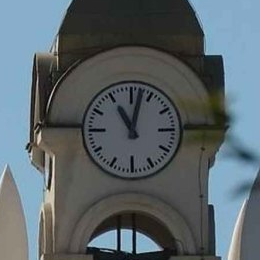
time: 11:02
